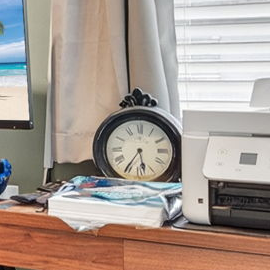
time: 5:35
